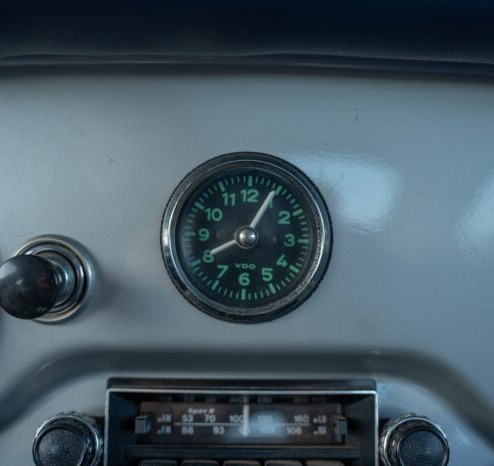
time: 8:04
